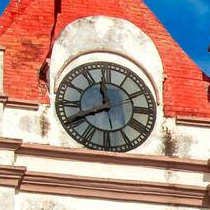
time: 11:40
